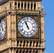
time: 10:56
